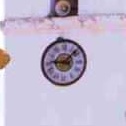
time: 9:07
